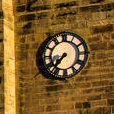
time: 7:37
